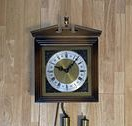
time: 9:07
